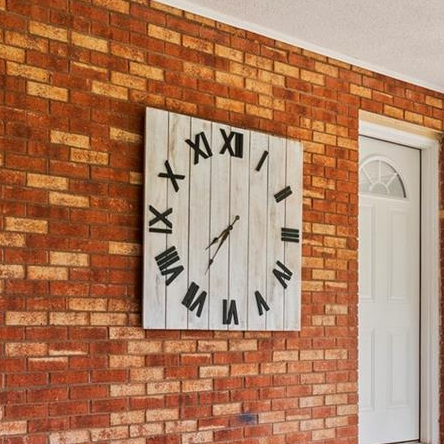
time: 7:35
